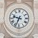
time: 9:34
